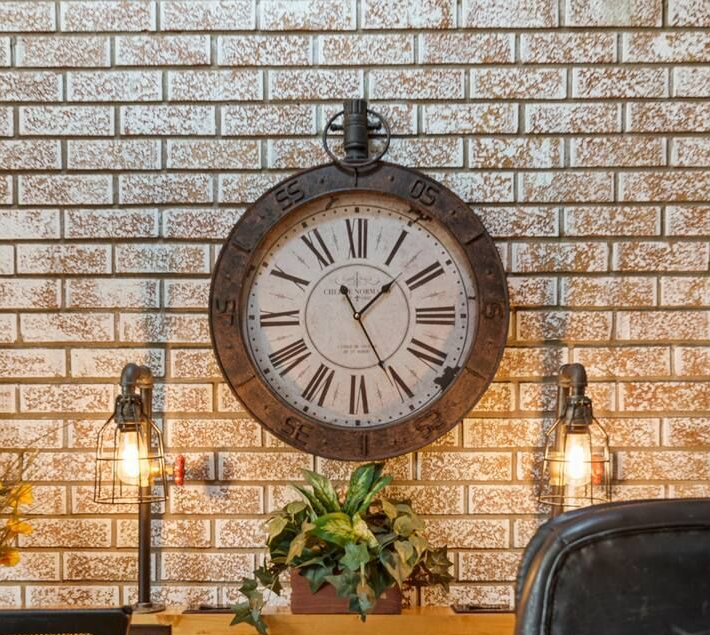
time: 1:25
